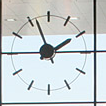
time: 1:56
